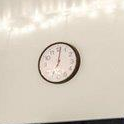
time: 7:01
